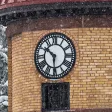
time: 10:30
